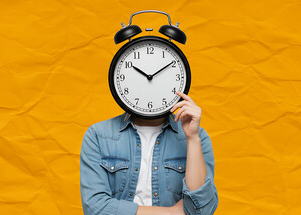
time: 10:09
